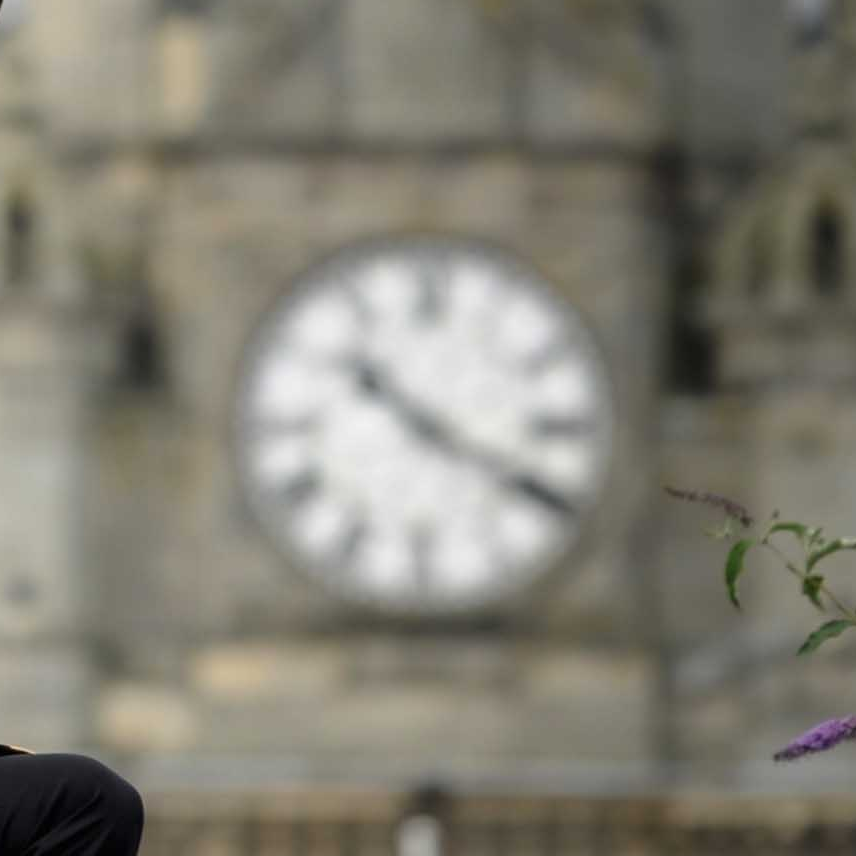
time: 10:20
